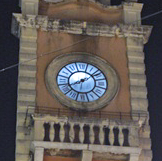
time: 8:07
